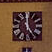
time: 4:59
